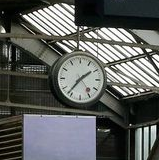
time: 1:36
